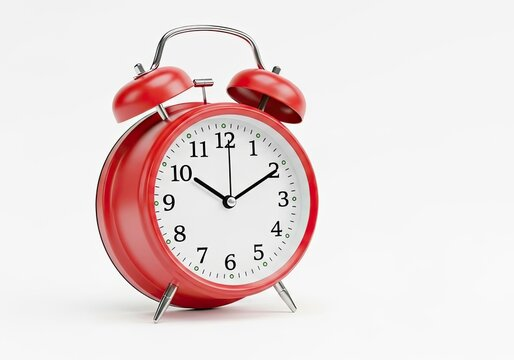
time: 10:10
